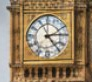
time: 2:23
